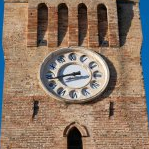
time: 8:43
